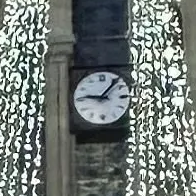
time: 9:07
